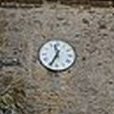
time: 11:34
